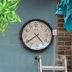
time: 4:39
